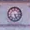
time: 5:14
